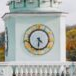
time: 4:31
